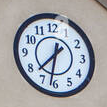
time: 7:31
